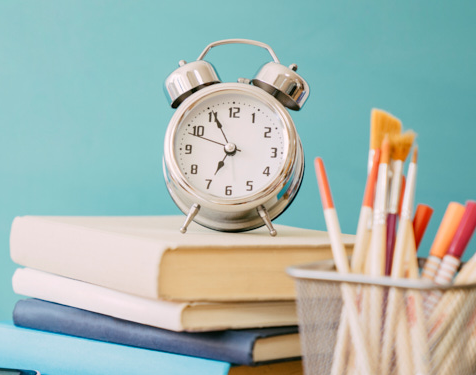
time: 6:55
